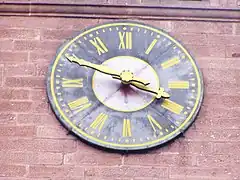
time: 3:49
